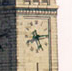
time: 5:14
